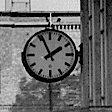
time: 1:55
